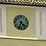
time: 4:33
